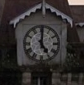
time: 5:00
